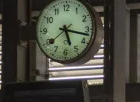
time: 5:17
